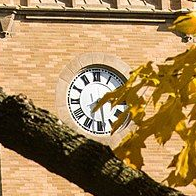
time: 7:28
